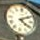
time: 4:09
